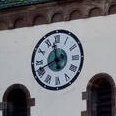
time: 11:41
